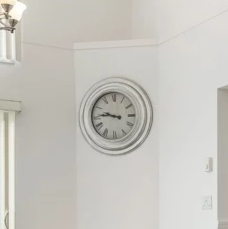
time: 9:45
